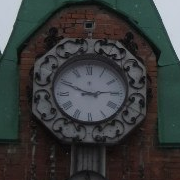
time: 2:49
